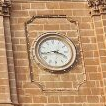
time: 3:43
